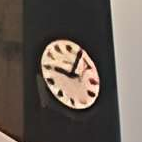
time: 9:05
